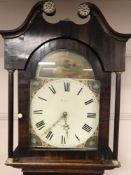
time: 5:36
